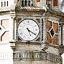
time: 5:20
